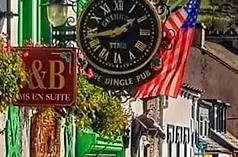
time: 1:43
